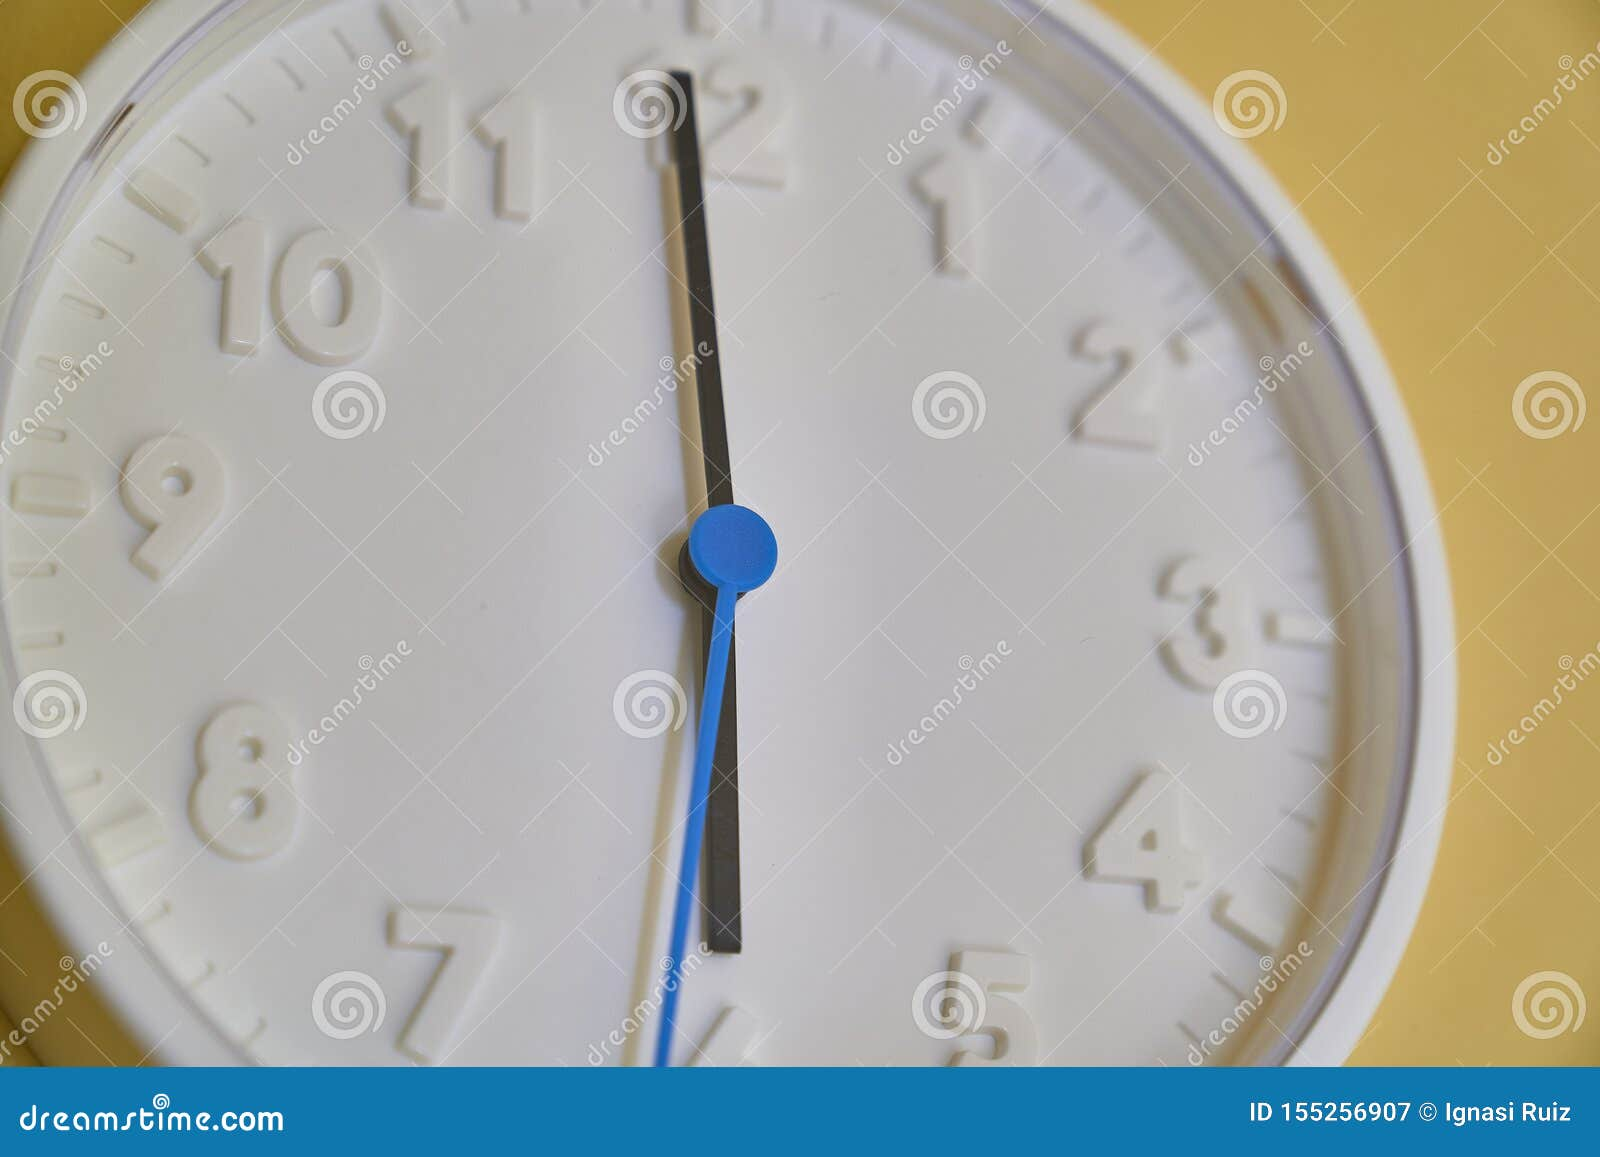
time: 5:59
